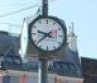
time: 9:38
